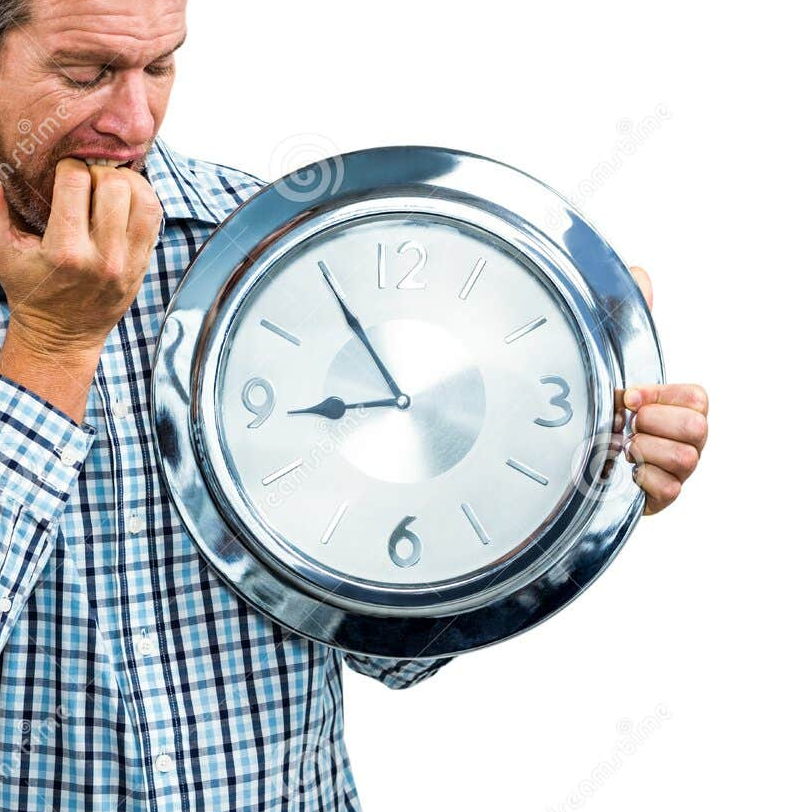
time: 8:54
